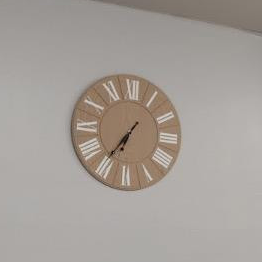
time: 6:36
